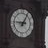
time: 9:05
